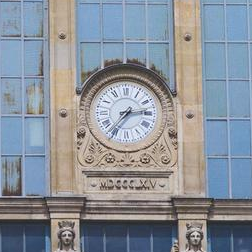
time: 2:36
